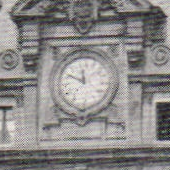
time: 11:49
